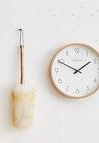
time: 1:49
